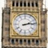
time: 2:13
